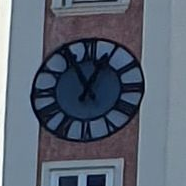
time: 12:55
